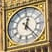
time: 12:23
